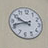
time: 9:42
